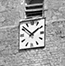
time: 1:51
